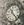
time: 11:23
